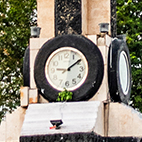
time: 9:09
